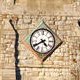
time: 4:40
